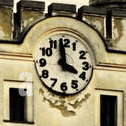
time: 3:58
